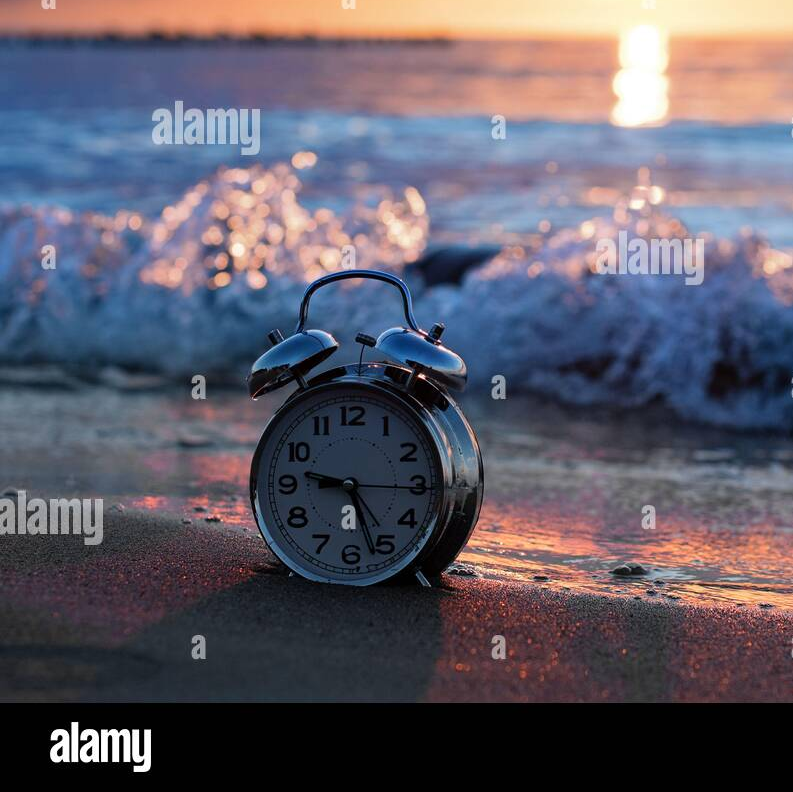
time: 9:27
